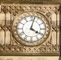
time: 4:02
